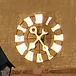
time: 1:24
